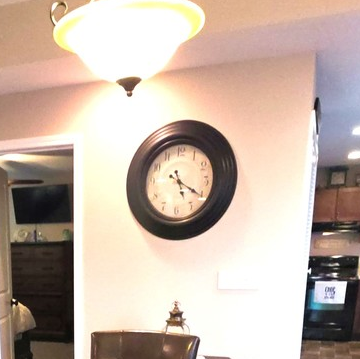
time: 5:20
